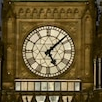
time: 5:07
